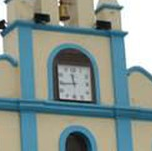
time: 11:44
